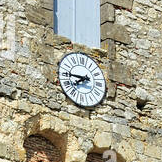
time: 7:45
